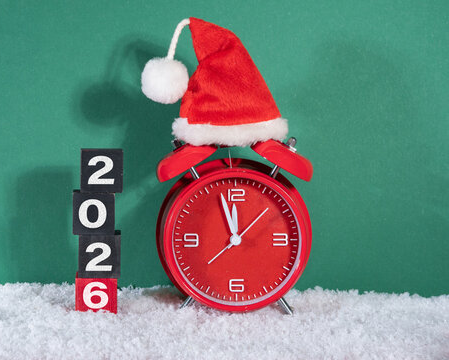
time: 11:57
